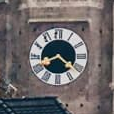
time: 8:21
